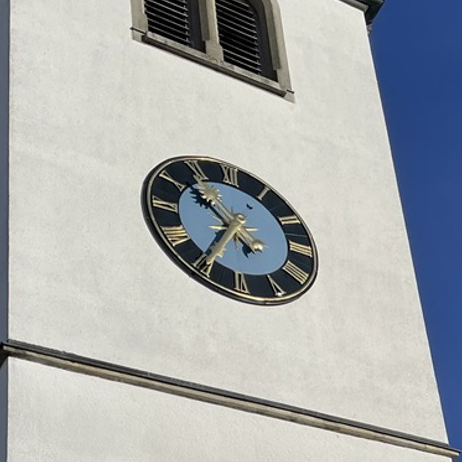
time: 10:35
